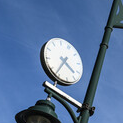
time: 4:36
